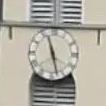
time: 11:27
